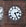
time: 2:25
